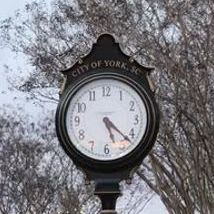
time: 5:22
